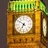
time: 6:51
